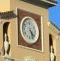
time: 4:26
